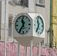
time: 11:35
